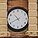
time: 10:40
